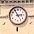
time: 2:55
